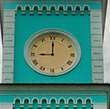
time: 9:00
